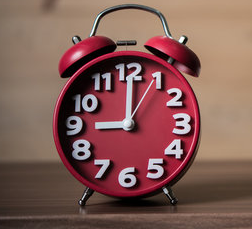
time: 9:00
